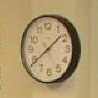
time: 1:39
